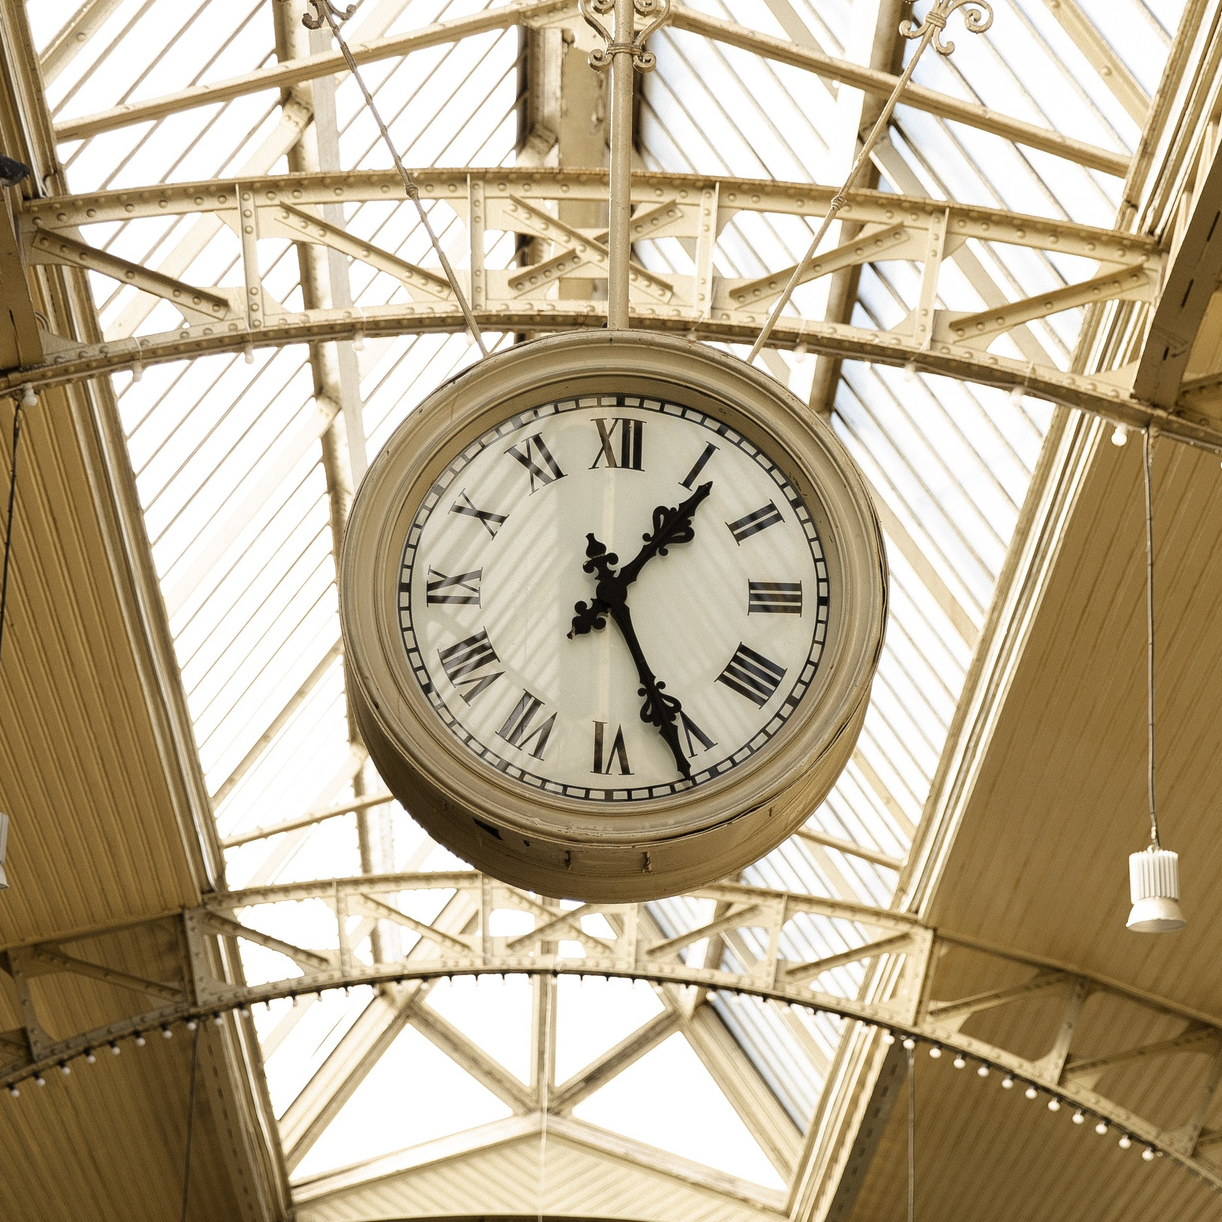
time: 1:26
